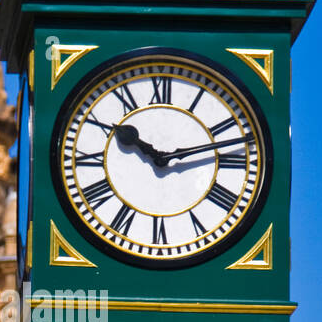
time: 10:12
